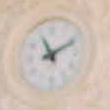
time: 11:10
